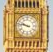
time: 9:47
